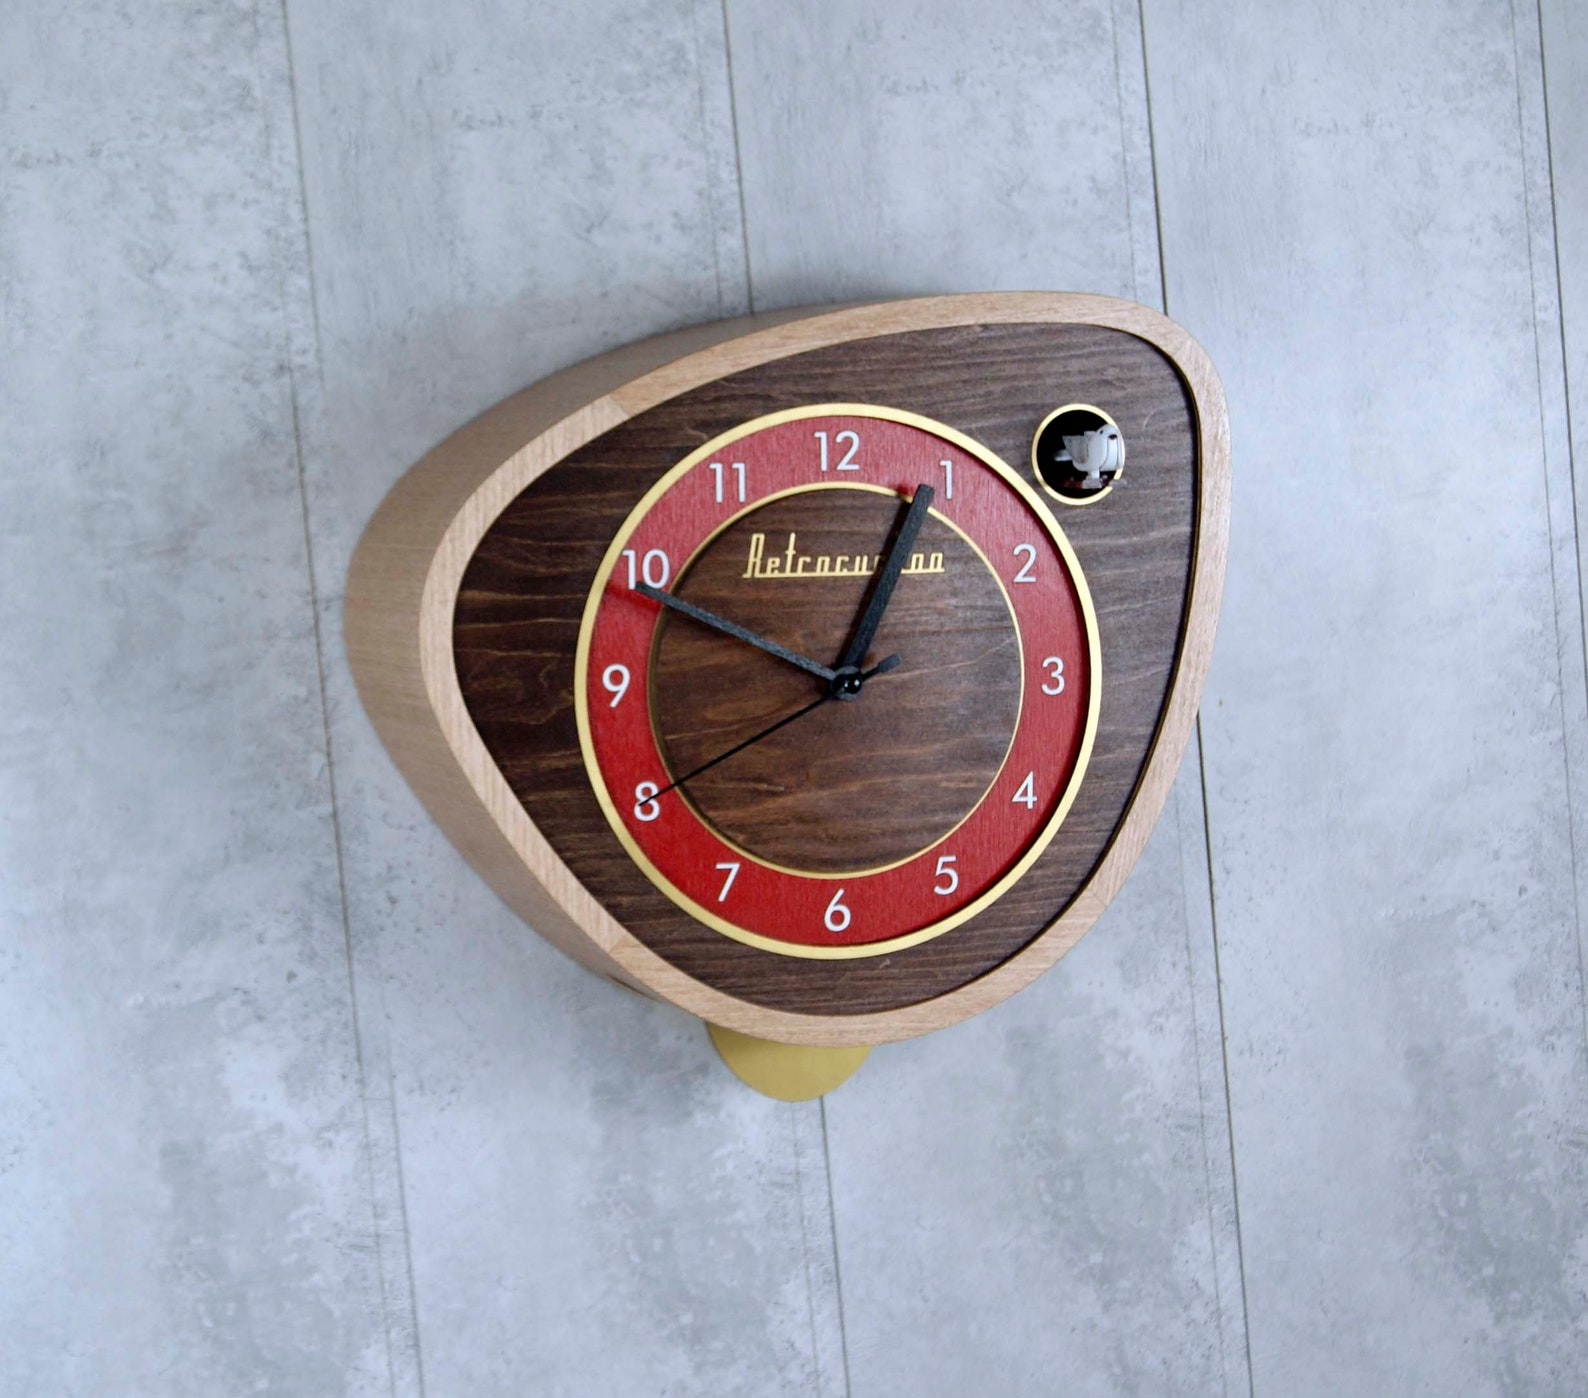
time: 12:49
